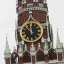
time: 11:51
